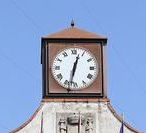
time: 12:32
